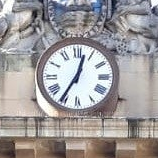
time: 12:35
